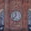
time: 11:37
